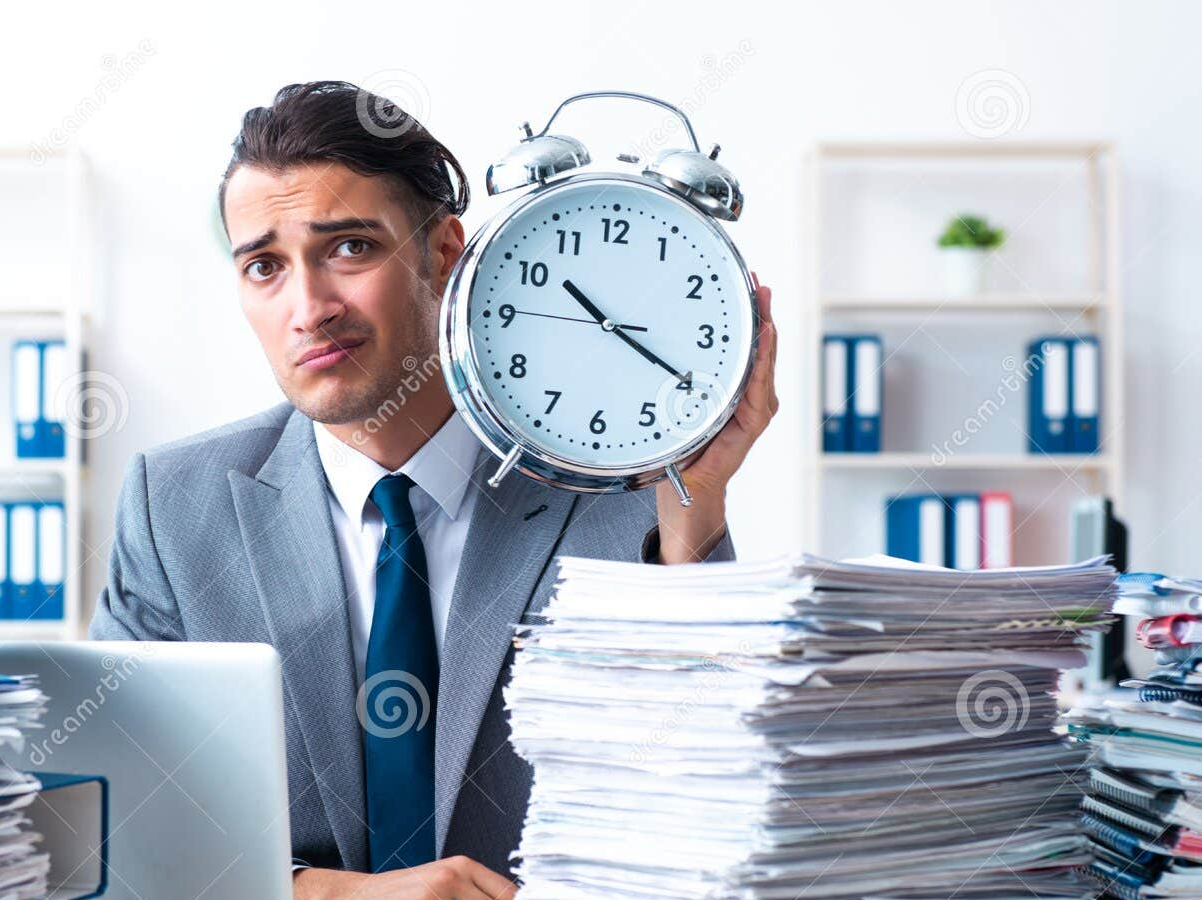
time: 10:19
